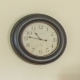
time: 10:46
